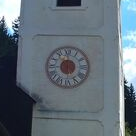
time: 5:59
